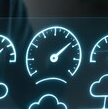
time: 2:08
